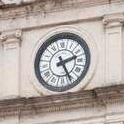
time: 2:25
